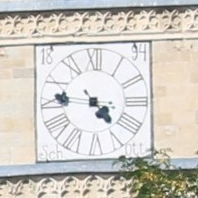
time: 4:46
